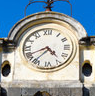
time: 4:40
